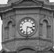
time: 3:31
